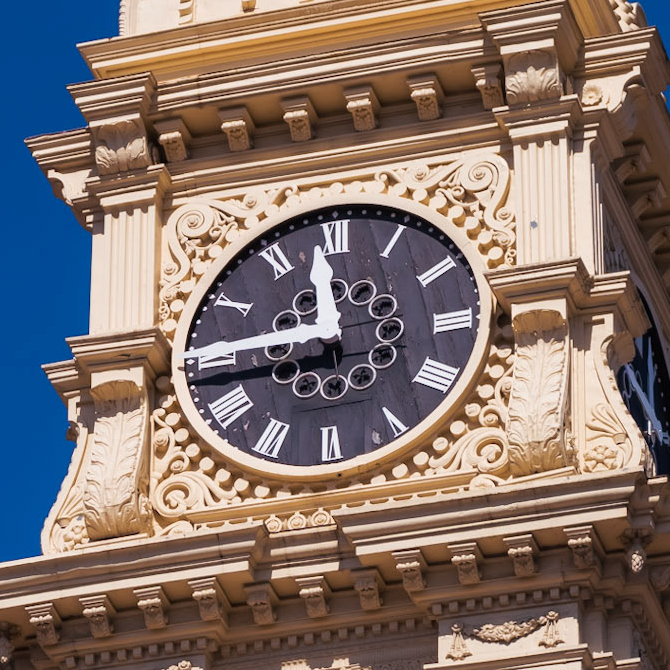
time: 11:44
